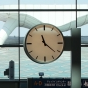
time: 11:21
